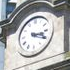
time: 3:19
